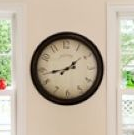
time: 1:43
